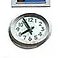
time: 7:55
